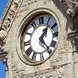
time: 1:23
